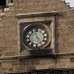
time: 4:57
